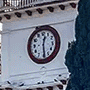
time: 12:28
